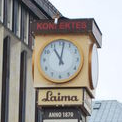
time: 11:01
